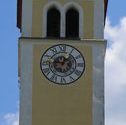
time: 1:46
